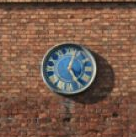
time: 5:03
